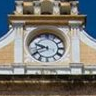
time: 9:41
